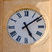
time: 5:08
